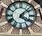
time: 4:07
